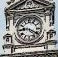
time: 9:20
